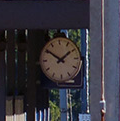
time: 1:51
